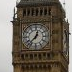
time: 12:37
